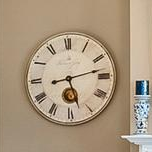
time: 5:12
